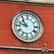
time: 10:47
